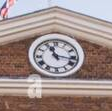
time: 11:16
